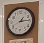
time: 1:14
